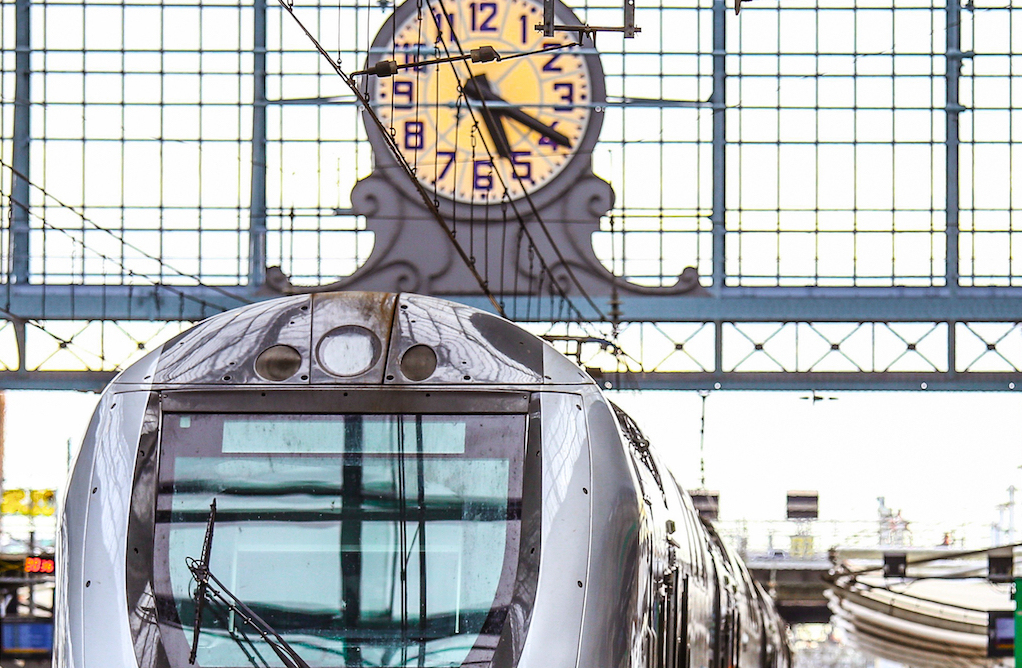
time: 5:19
